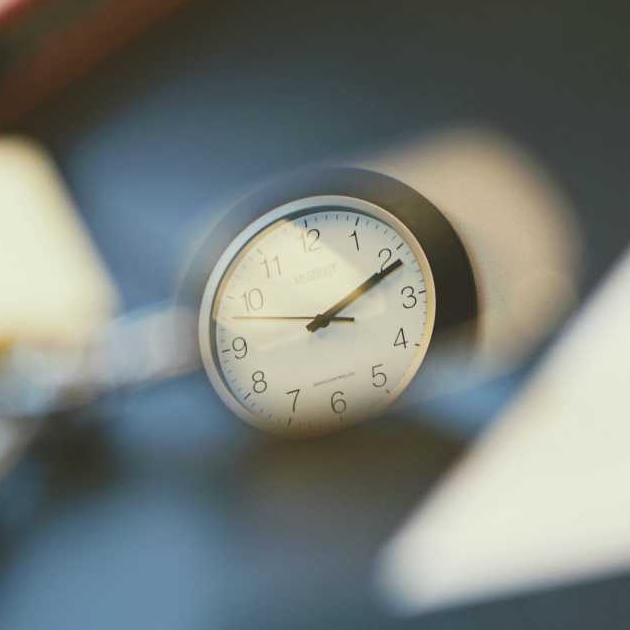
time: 2:11
